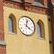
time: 4:02
